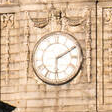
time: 6:10
